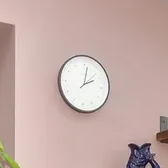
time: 2:02
